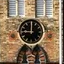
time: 9:00
